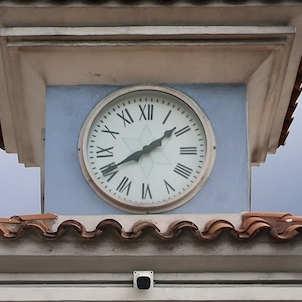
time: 1:40
